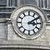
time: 3:09
